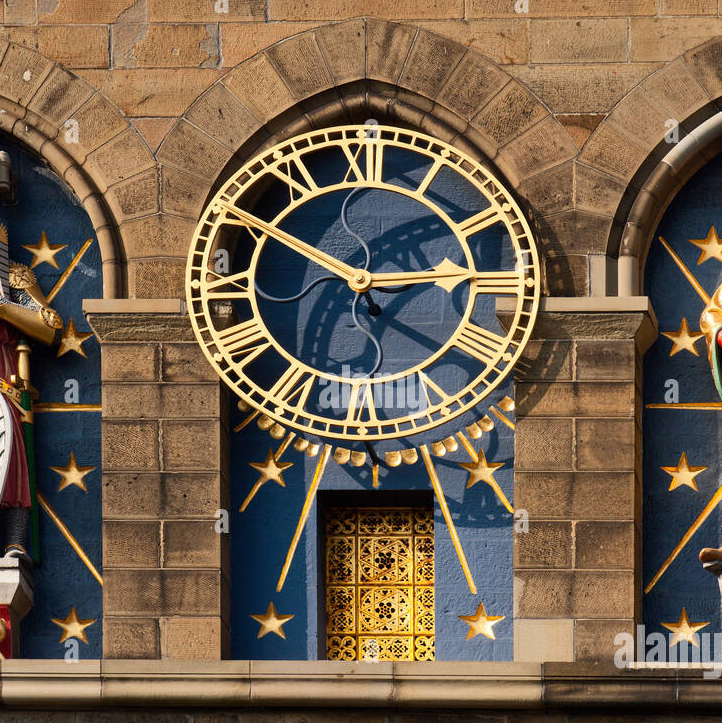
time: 2:49
